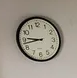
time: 8:46
